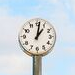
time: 1:01
